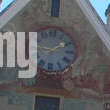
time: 1:46
